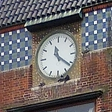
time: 11:21
